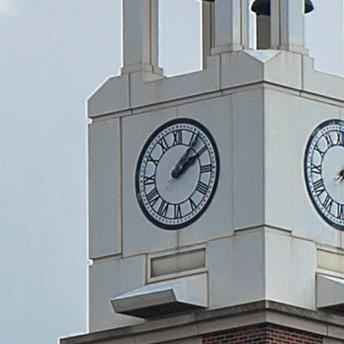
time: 2:06
